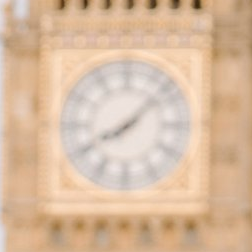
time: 8:07
